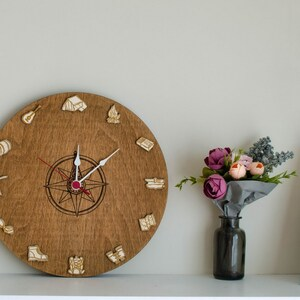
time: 12:09
